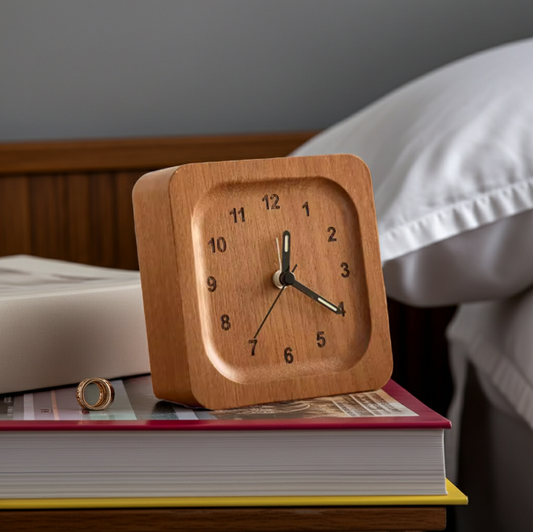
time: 12:20
